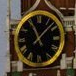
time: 11:07
